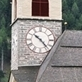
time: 10:23
